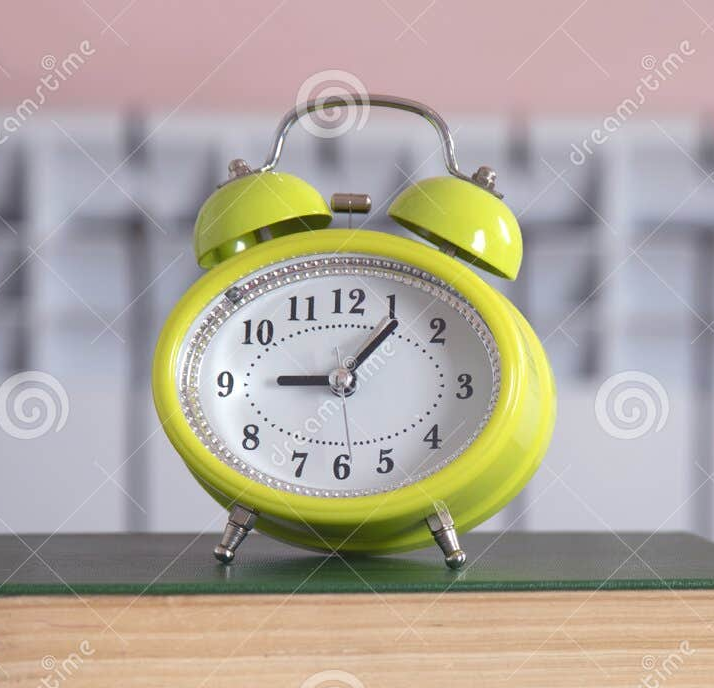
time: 9:07
